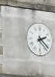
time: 2:21
